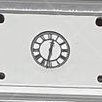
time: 12:32
